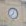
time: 12:37
